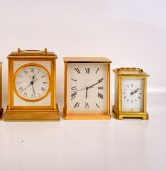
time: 6:11
